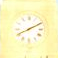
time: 8:10
